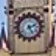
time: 2:25
